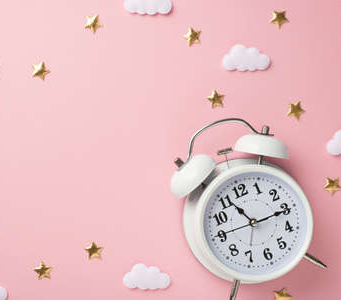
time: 11:15
